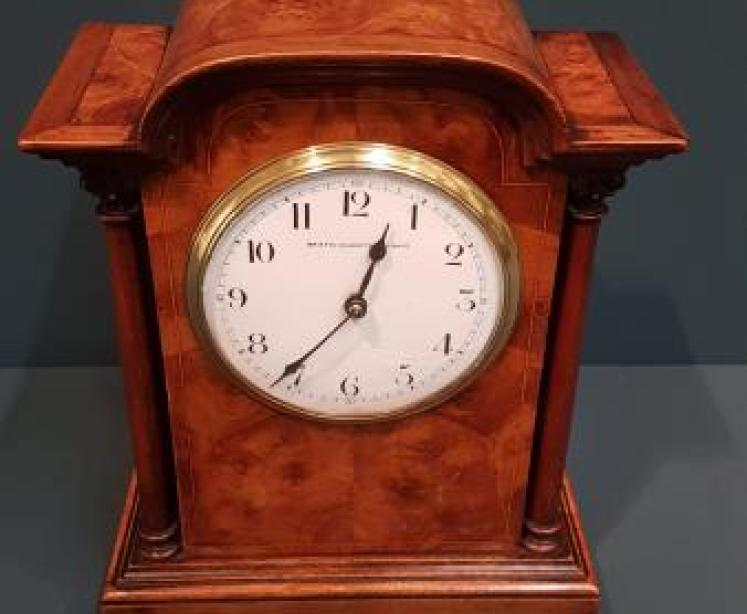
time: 12:36
